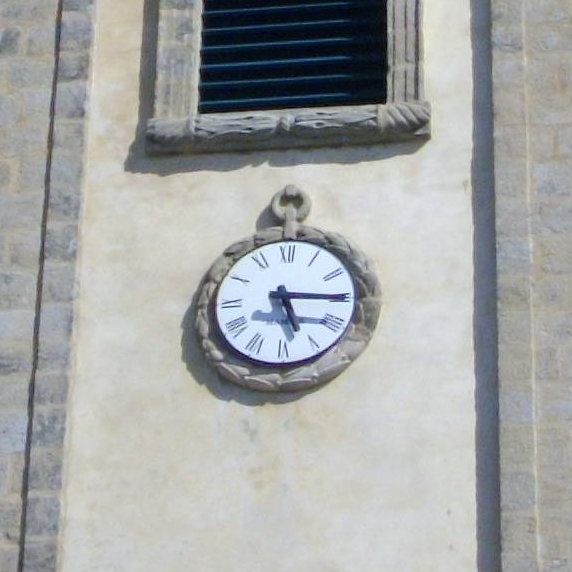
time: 5:15
